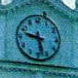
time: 9:28
